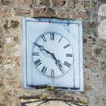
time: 4:49
